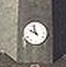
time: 9:57
